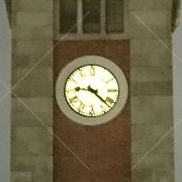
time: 9:22
